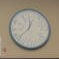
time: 12:37
